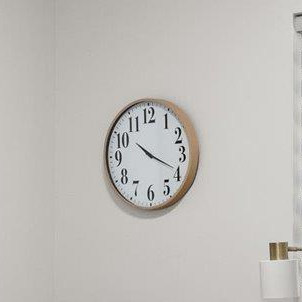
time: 10:19
